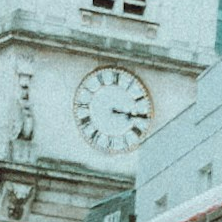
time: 3:15
